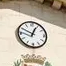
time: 12:49
